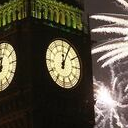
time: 12:04
